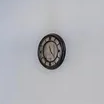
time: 11:23
